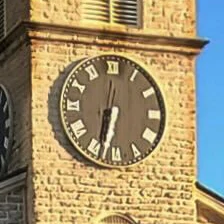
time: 6:32
